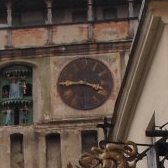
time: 3:44
